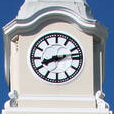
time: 8:12
